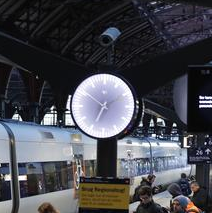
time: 6:50
